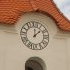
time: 12:07
